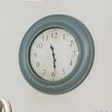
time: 11:28
